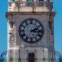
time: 2:16
